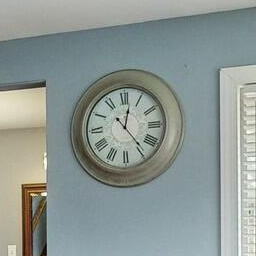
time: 12:23
